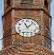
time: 11:07
